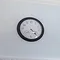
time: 4:22
